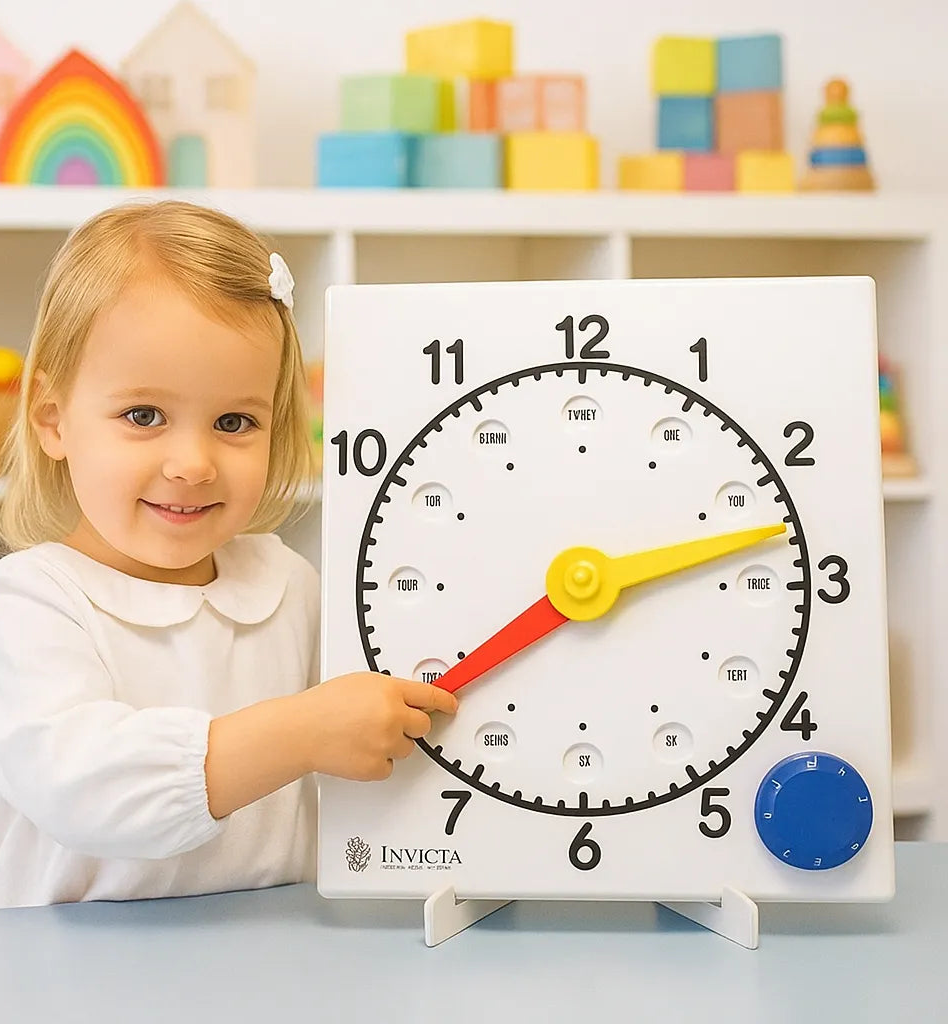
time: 2:38
